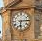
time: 6:14
